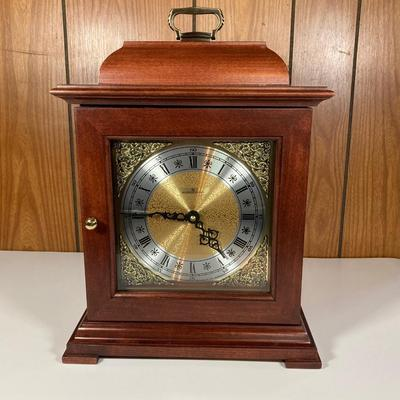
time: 4:45
